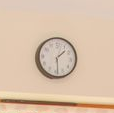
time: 1:28
